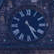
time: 4:25
